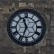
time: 11:33
